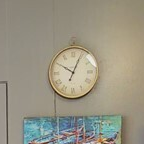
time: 10:04
